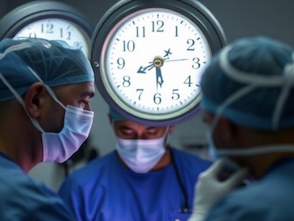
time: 5:40
